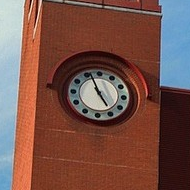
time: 4:56
